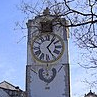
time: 5:06
